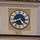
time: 4:40
